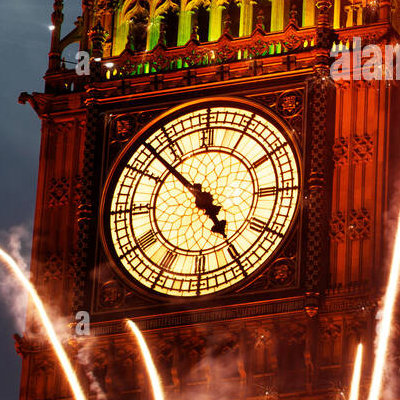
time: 4:52
